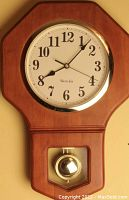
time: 8:07
